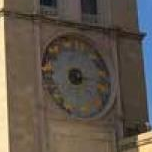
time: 7:15
